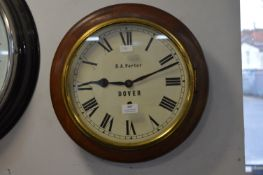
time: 9:11
